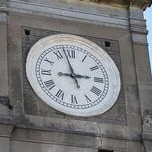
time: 2:57
